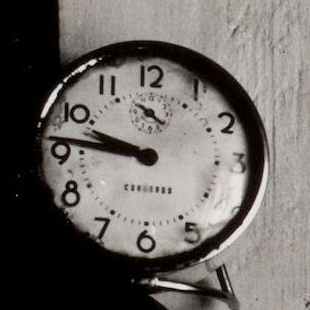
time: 9:46
